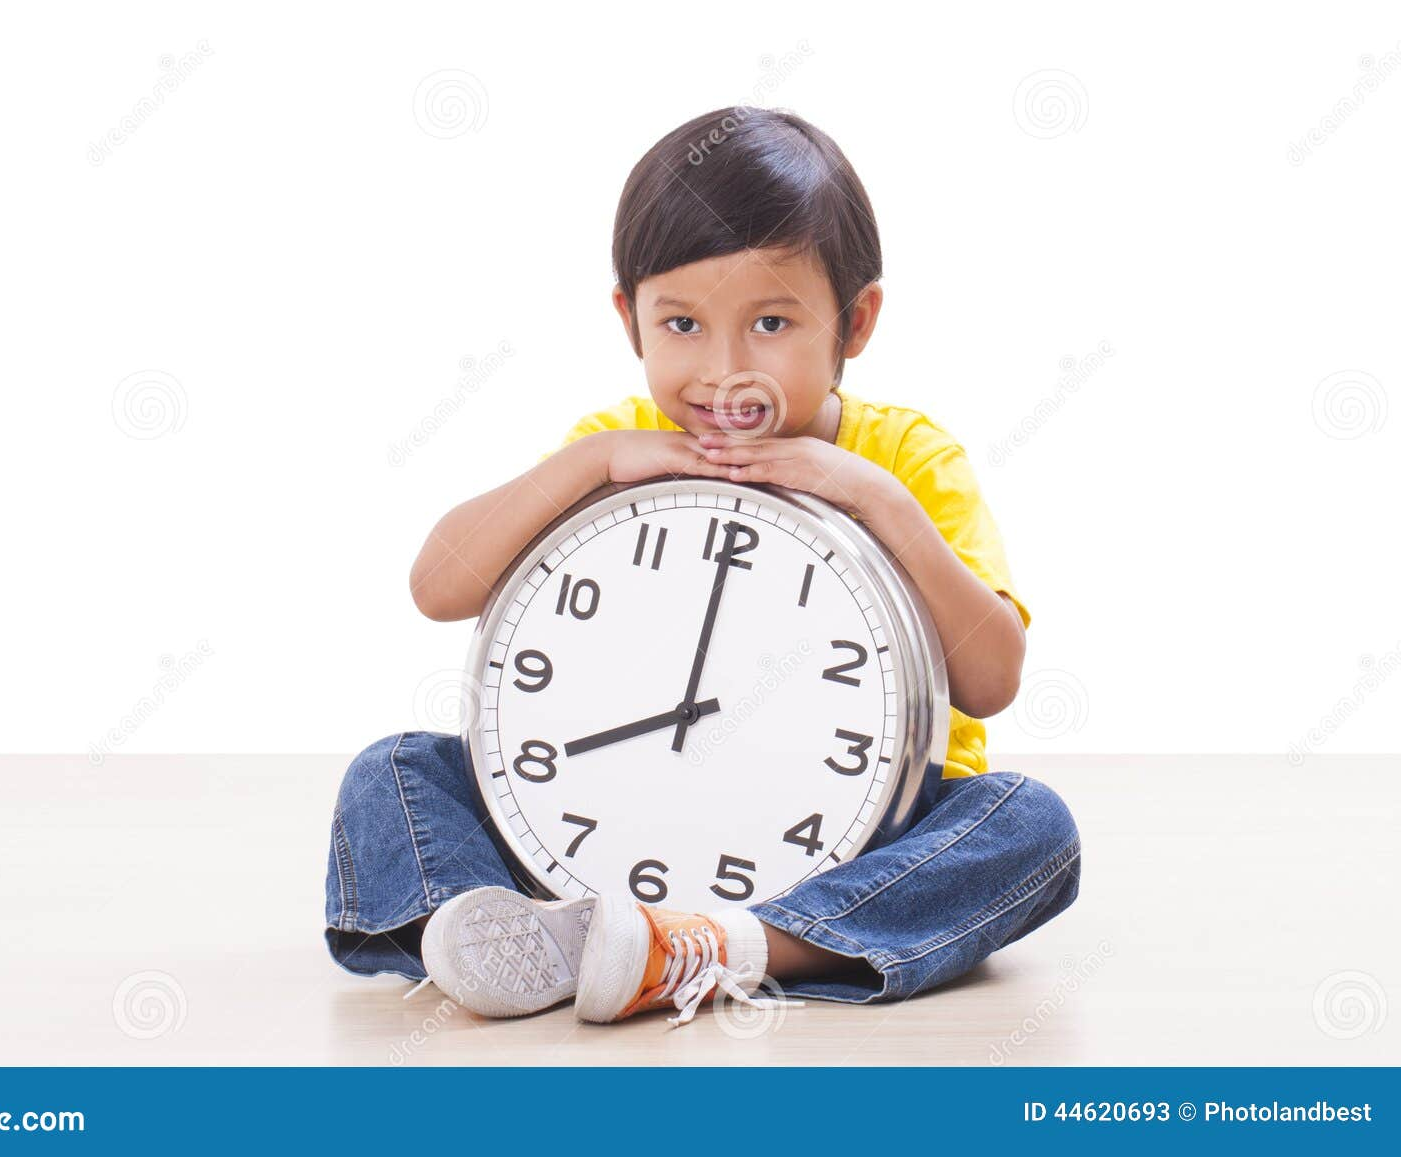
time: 7:59
